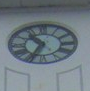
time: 10:34
